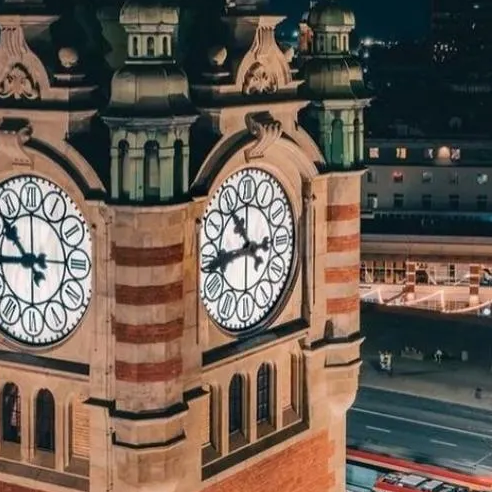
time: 10:43
